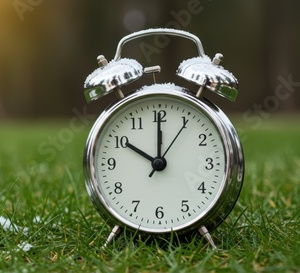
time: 10:00
